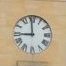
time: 8:59
